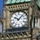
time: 10:07
